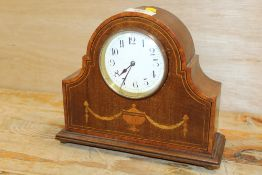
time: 7:34
